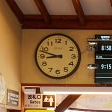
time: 8:47
